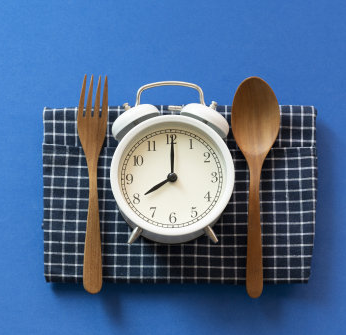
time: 8:00
